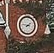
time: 1:46
